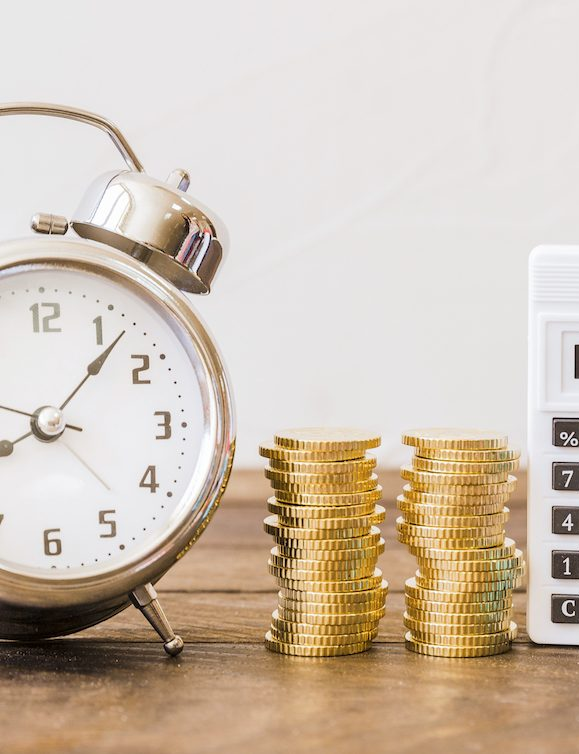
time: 8:07
